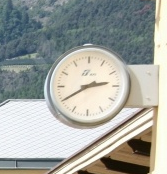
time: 2:40
